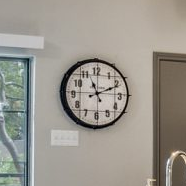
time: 11:11
